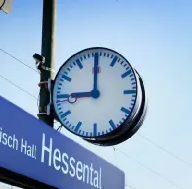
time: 9:00
